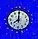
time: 7:59
